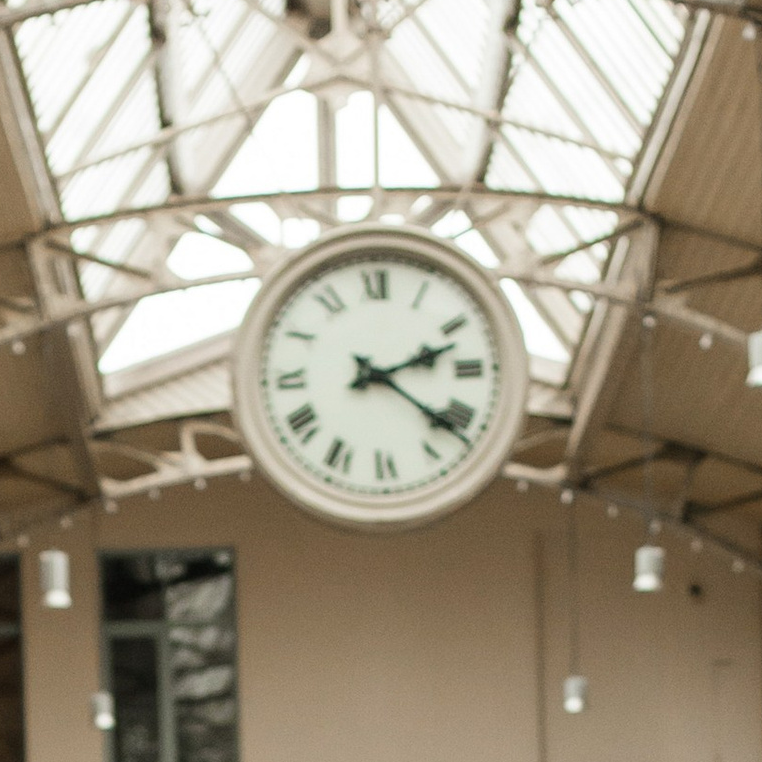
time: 2:21
